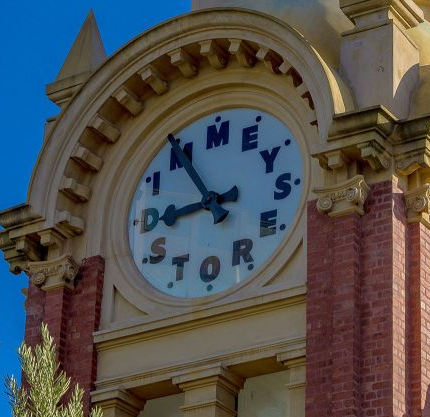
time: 8:54
